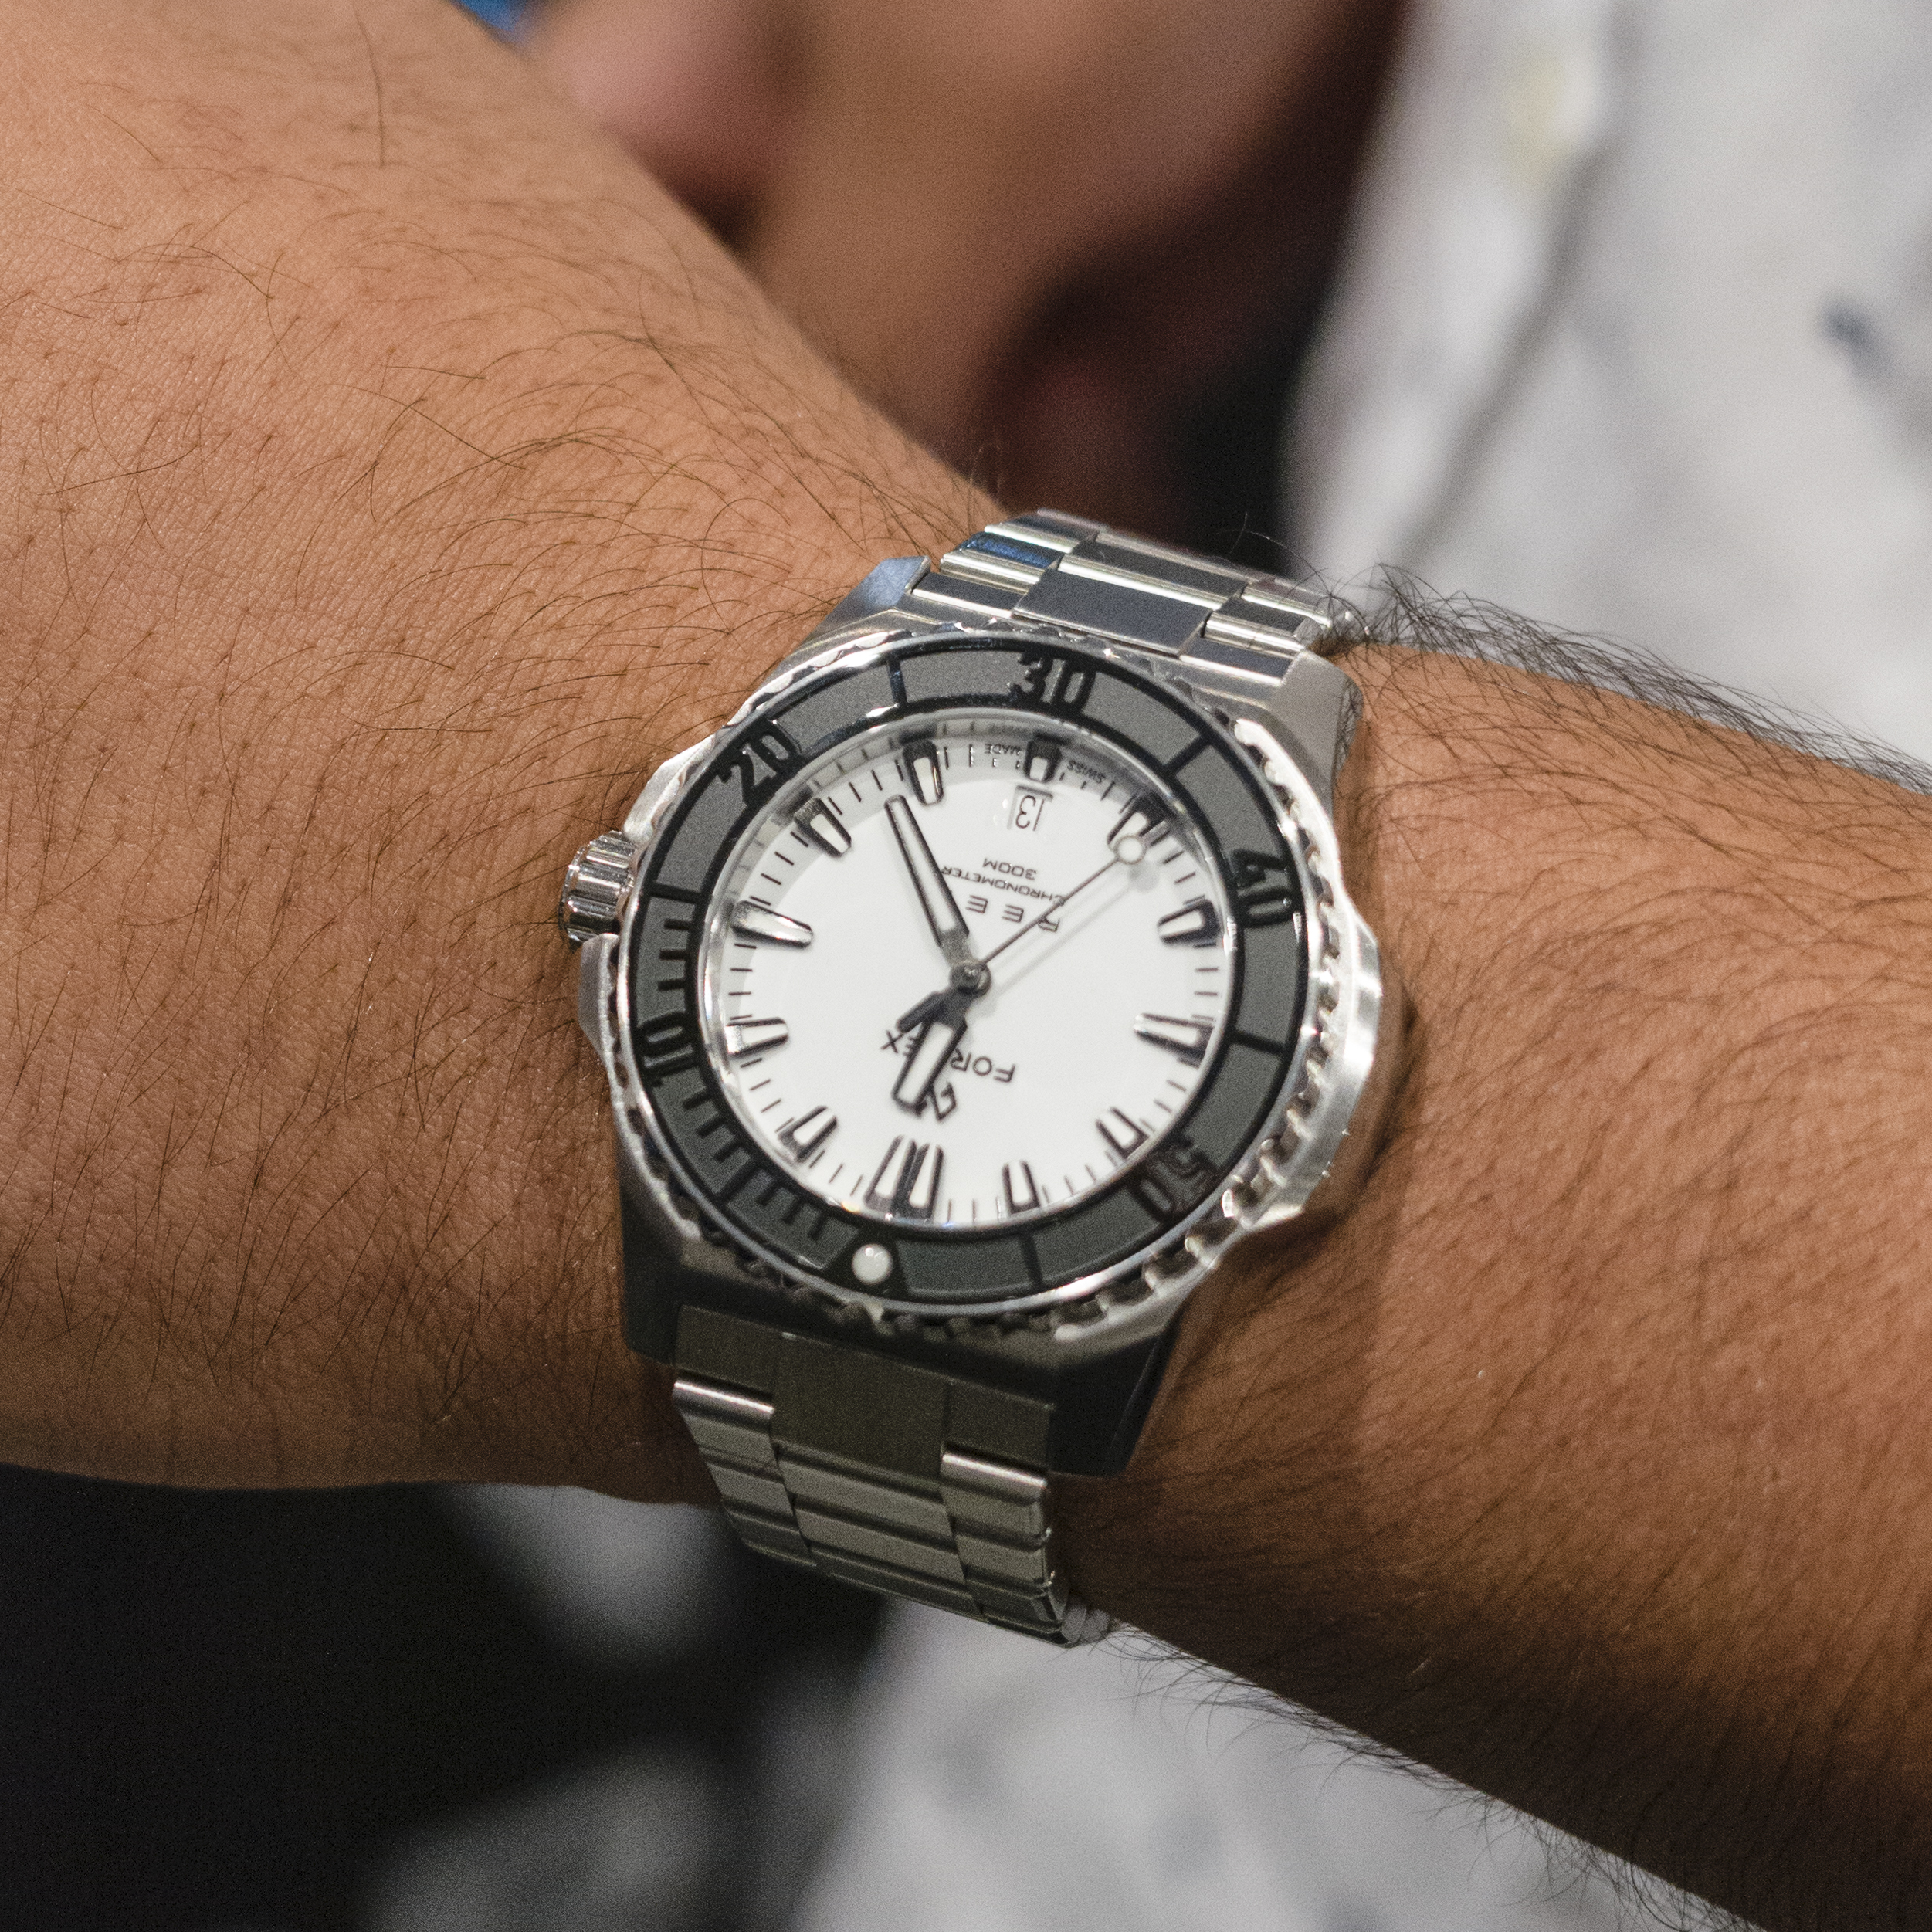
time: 6:06
